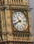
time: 10:41
